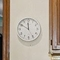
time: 11:50
